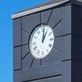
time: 1:01
